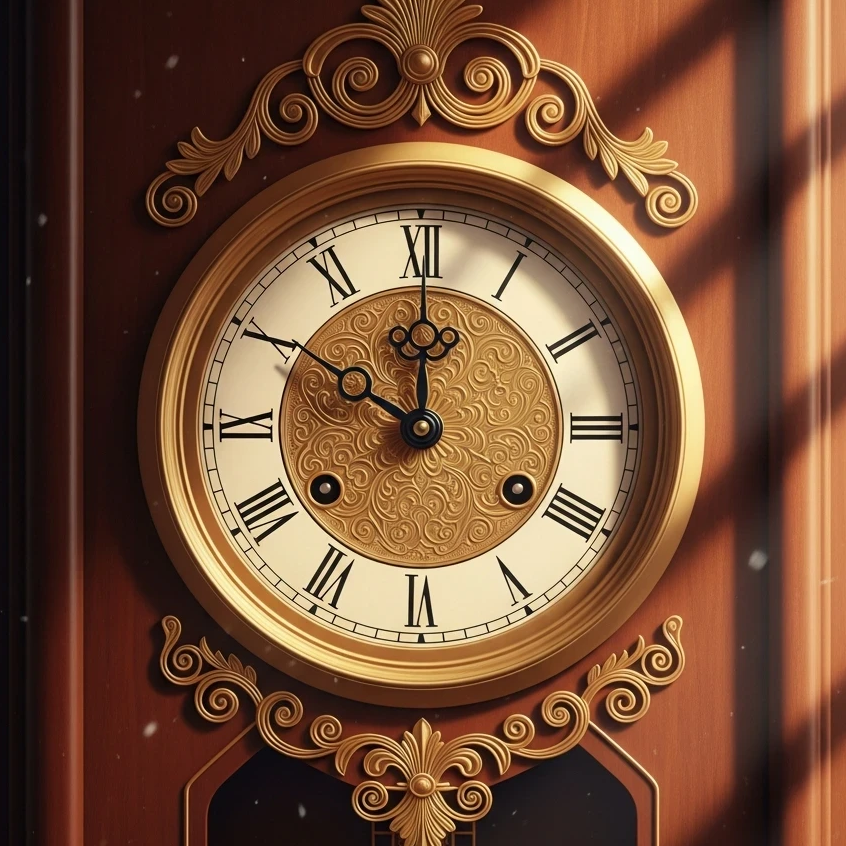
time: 10:00
